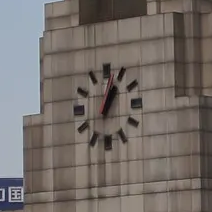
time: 1:02
